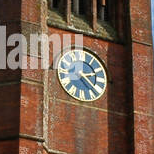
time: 2:21
